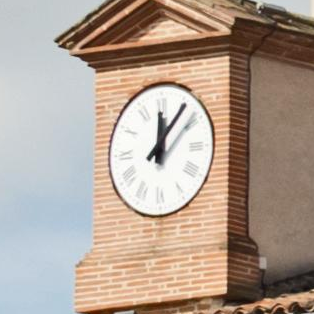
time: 12:06
